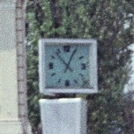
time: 12:52
